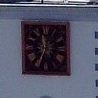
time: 11:34
